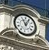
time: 11:04
